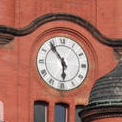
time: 5:54
